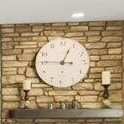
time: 12:45
